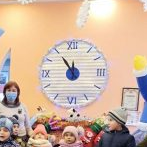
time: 11:54
